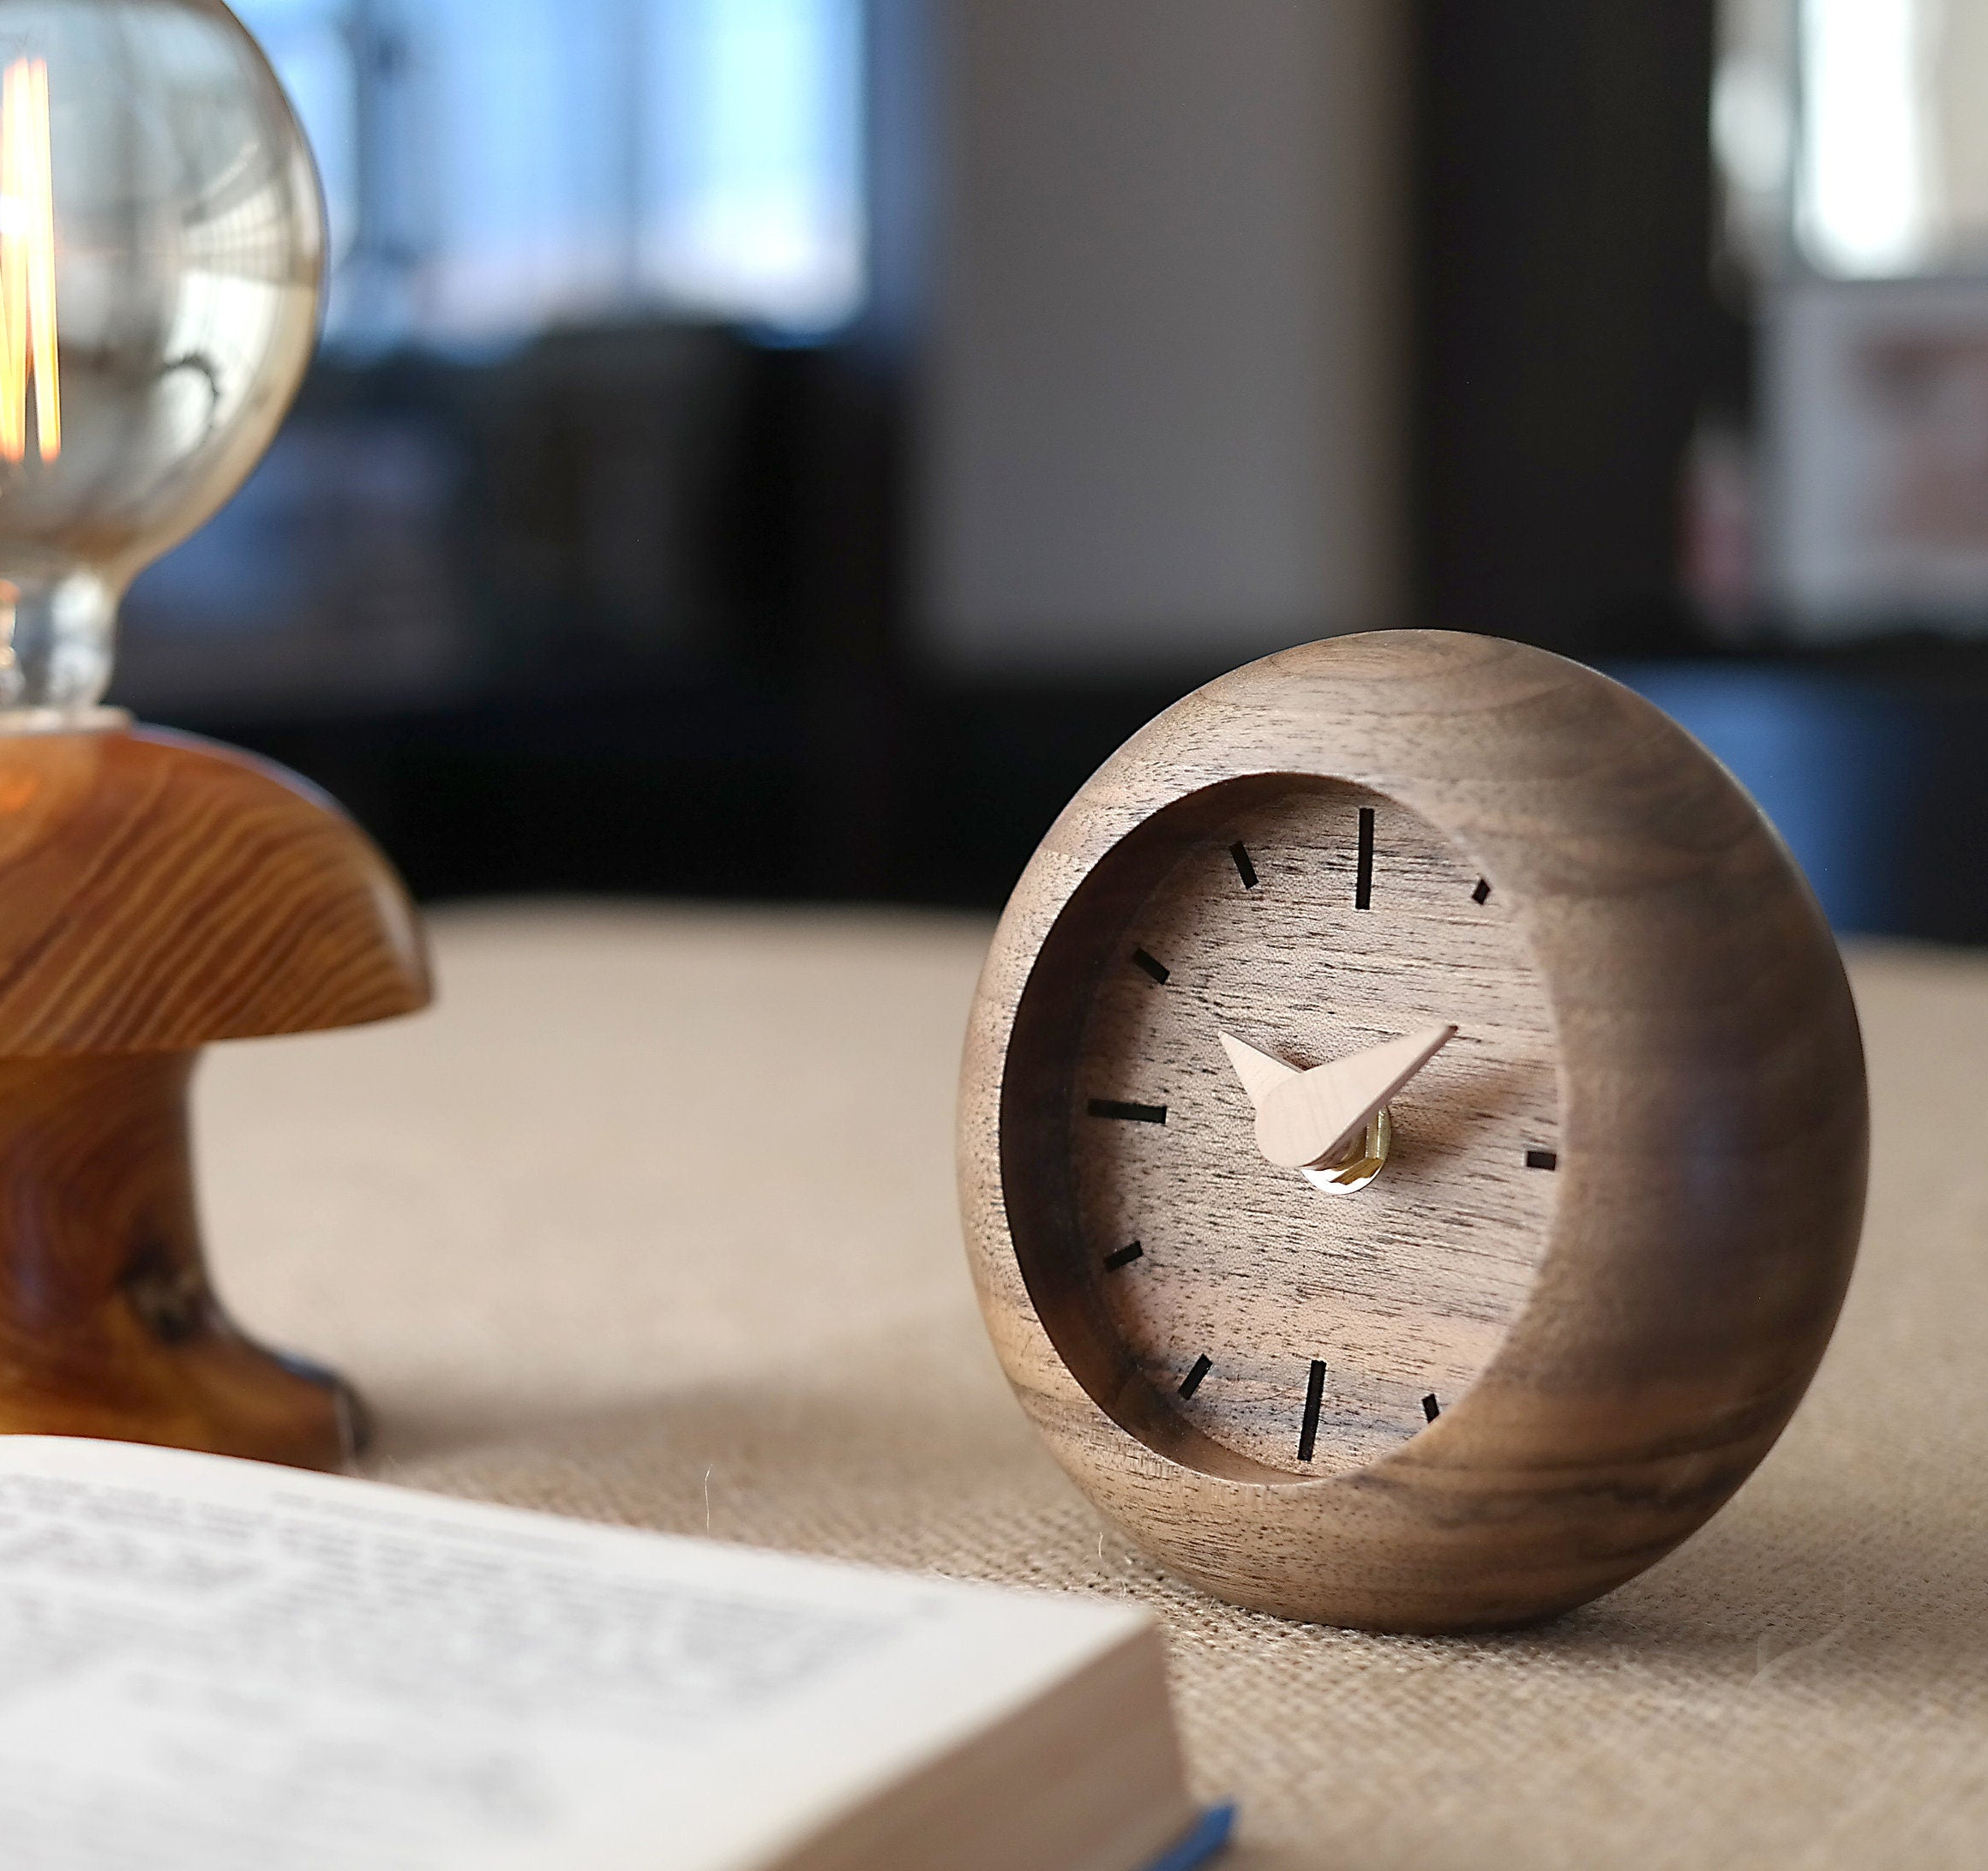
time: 2:07
